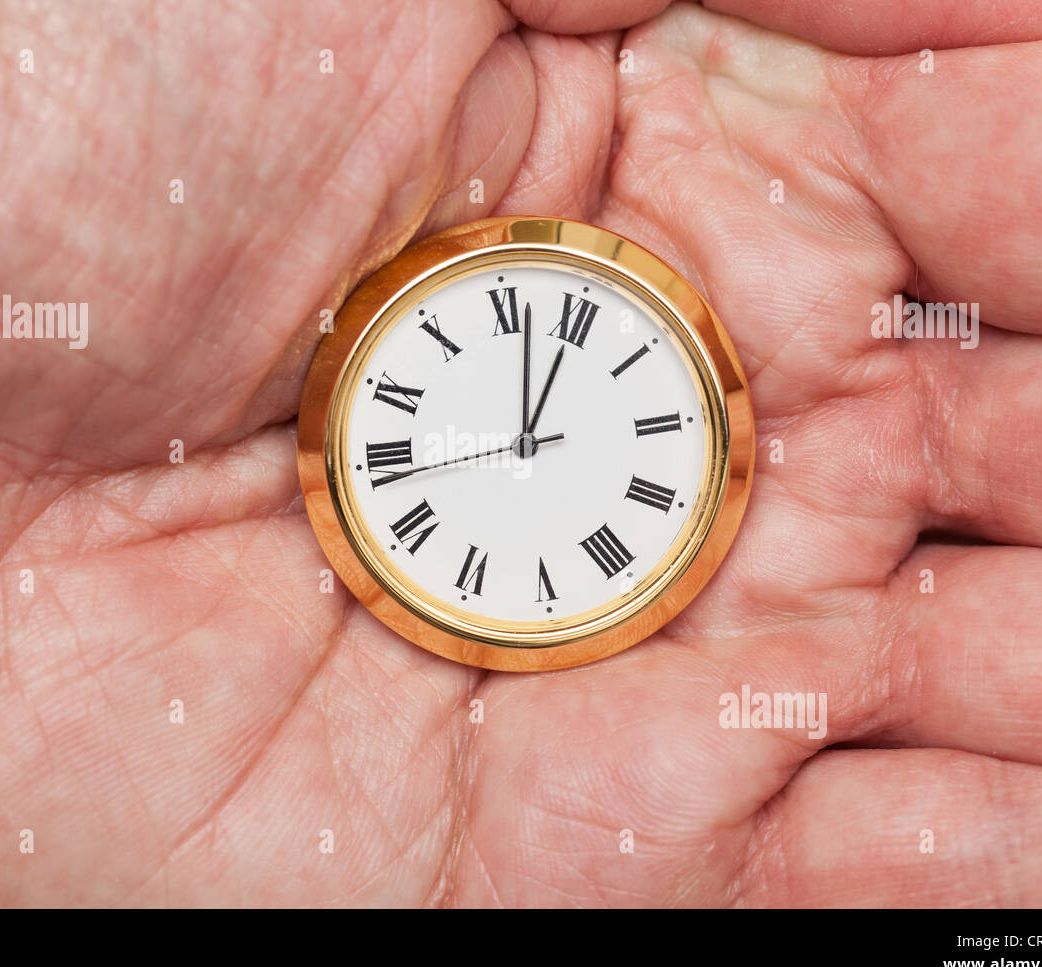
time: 11:56
